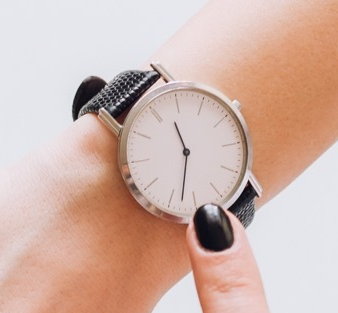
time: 11:32
